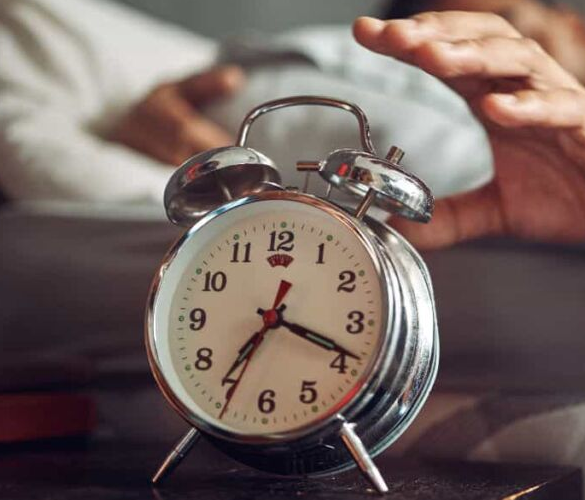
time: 7:18
